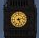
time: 5:12
